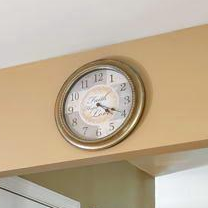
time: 4:19
